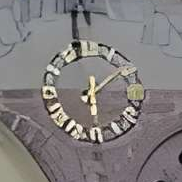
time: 12:08
